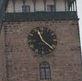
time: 11:21
